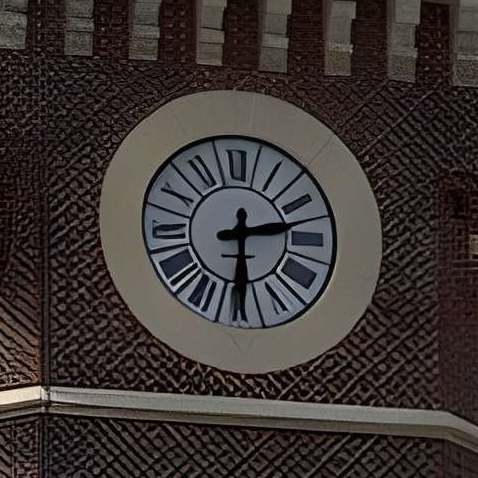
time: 2:29
